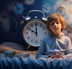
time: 10:00
